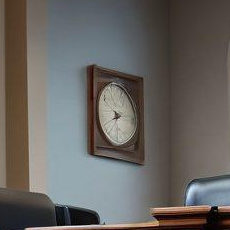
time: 8:12
